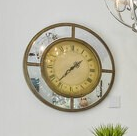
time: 1:36
